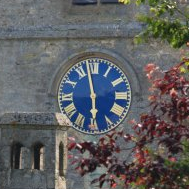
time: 5:58
